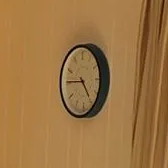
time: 4:45
